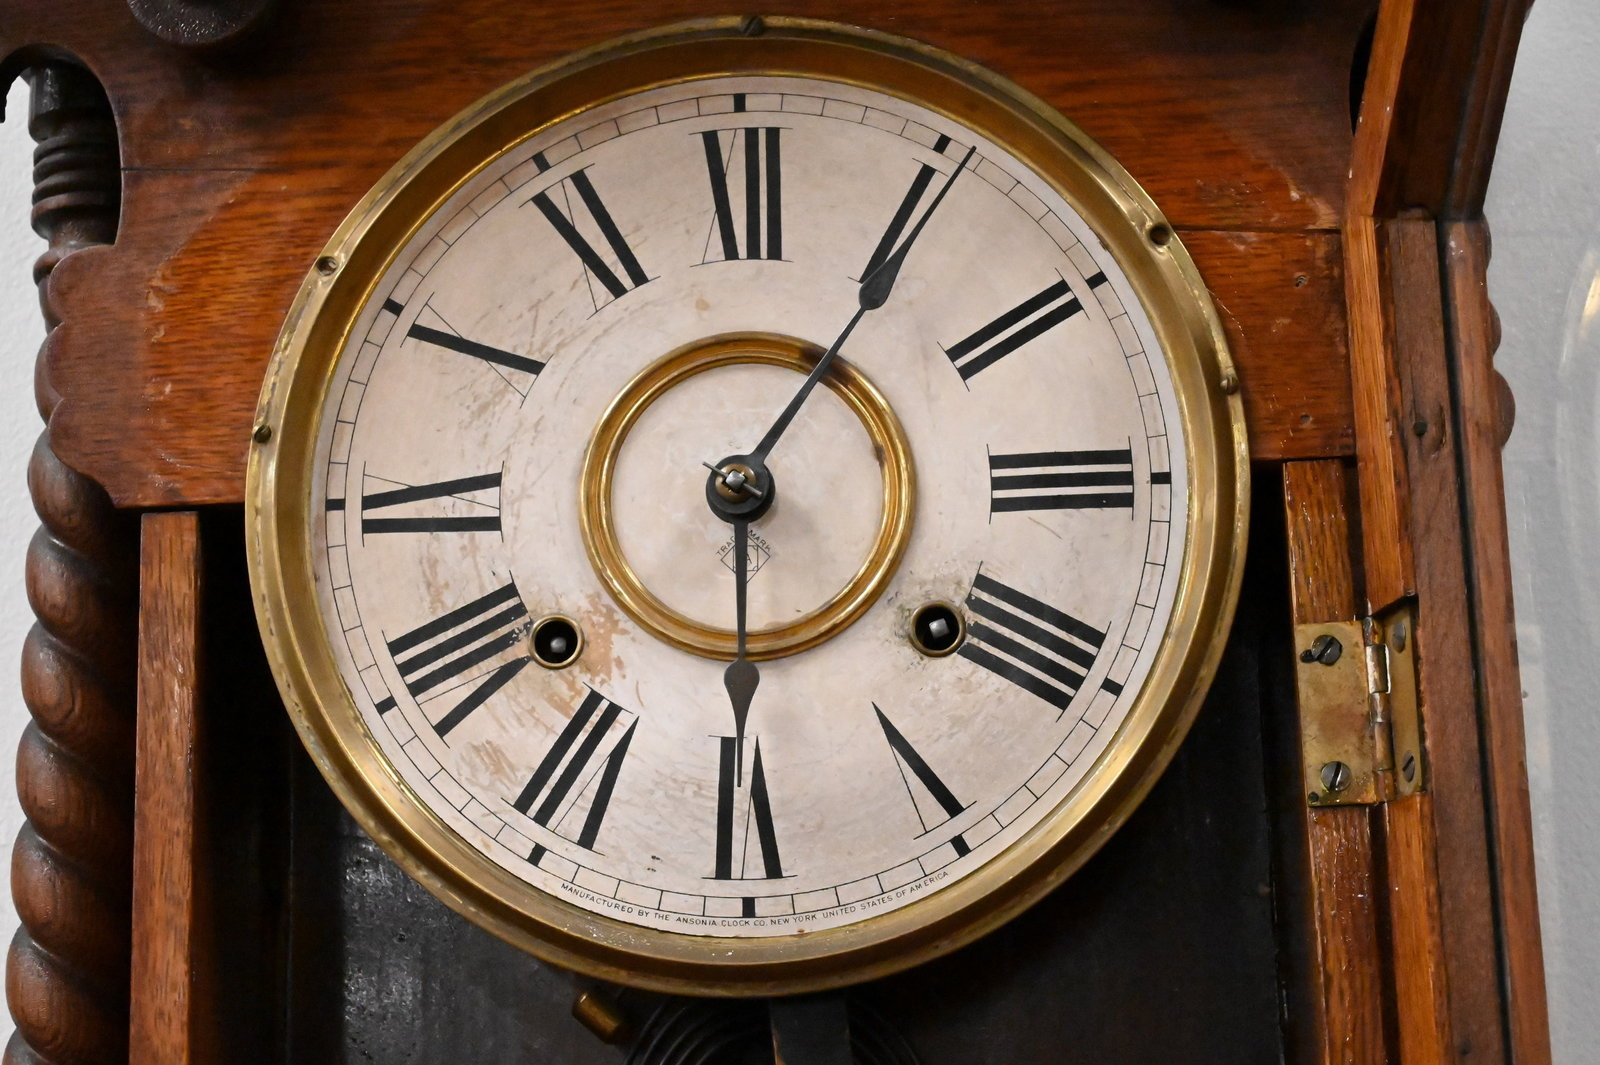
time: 6:05
